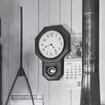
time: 8:23
